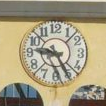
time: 9:25
